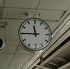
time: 11:45
